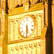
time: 5:30
